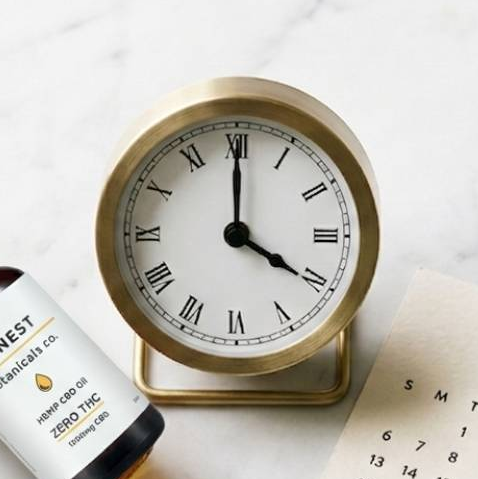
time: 4:00
